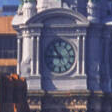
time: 10:45
